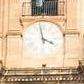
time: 3:58
